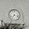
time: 7:17
